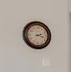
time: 2:18
